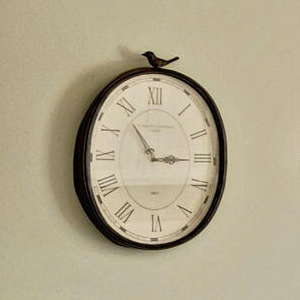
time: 2:53
